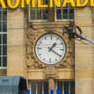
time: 1:20
